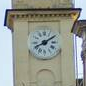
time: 8:09
